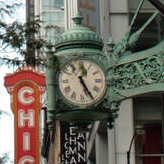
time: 12:24
